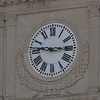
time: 2:46
